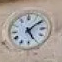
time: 5:08
